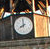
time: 7:59
